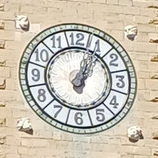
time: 1:02
